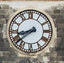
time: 8:38
